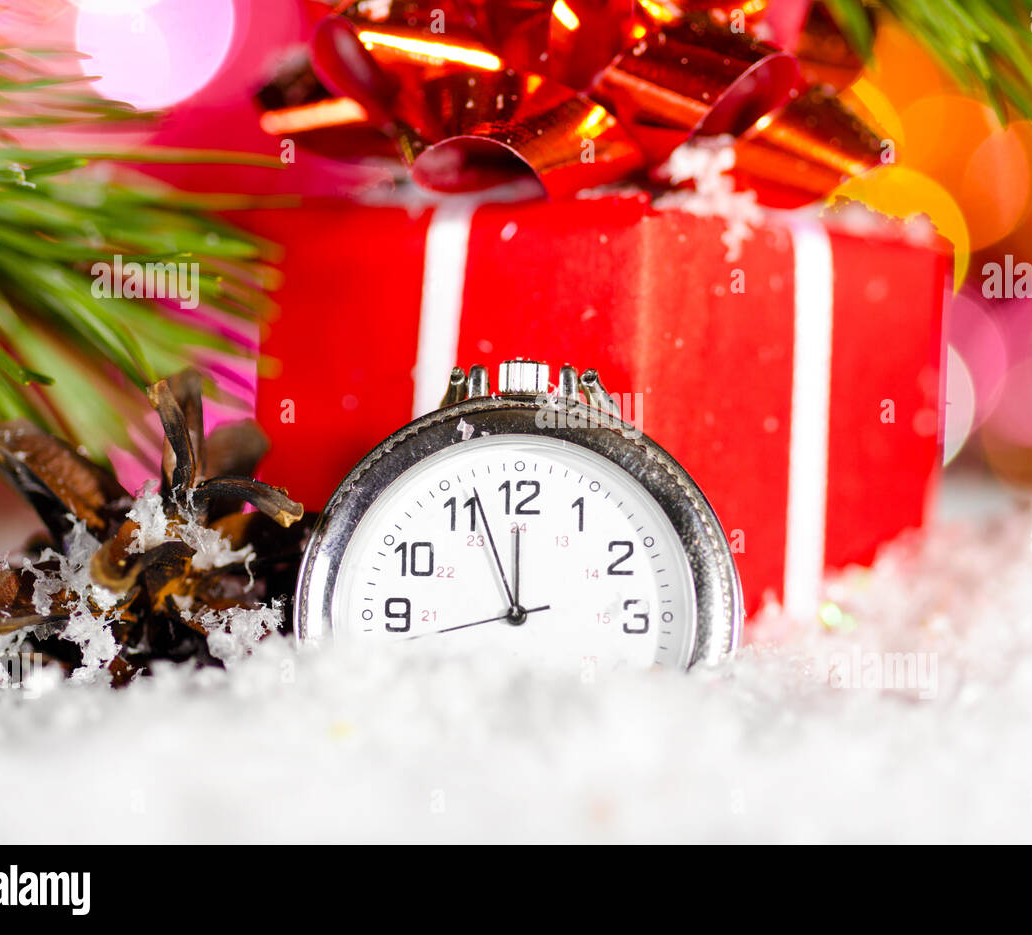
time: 11:56
